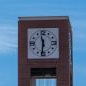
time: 11:31
